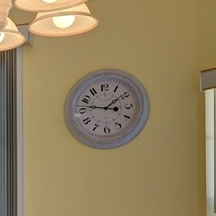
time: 1:47
